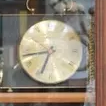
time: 6:43
